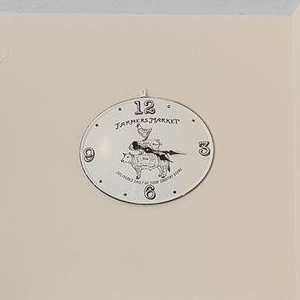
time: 4:17
